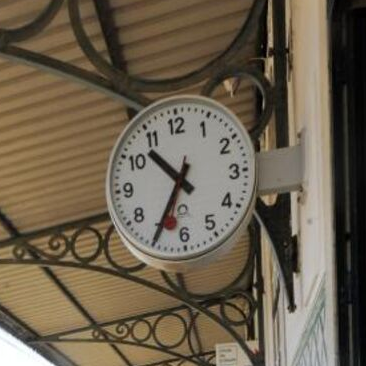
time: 10:34
